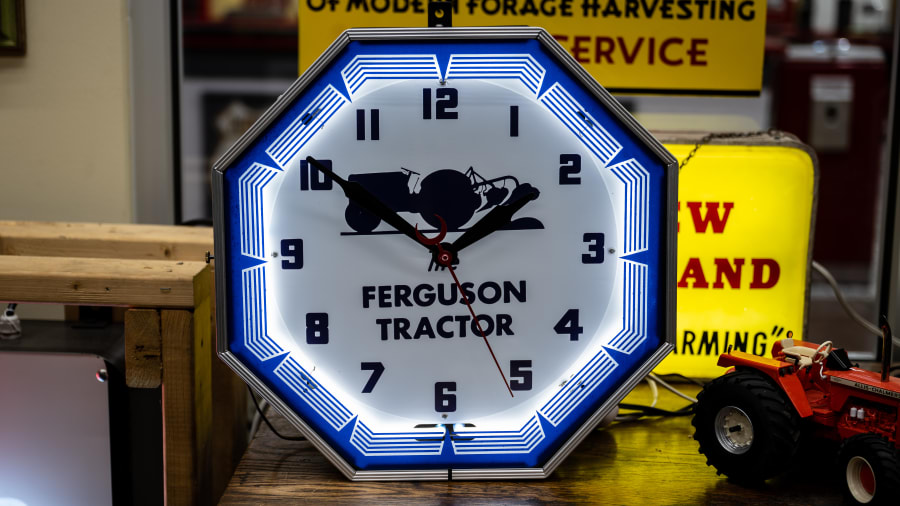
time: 1:50
